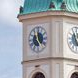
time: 11:59
